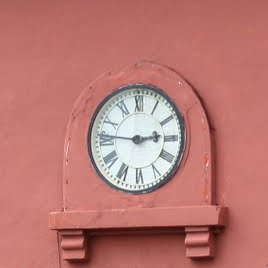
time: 2:46
